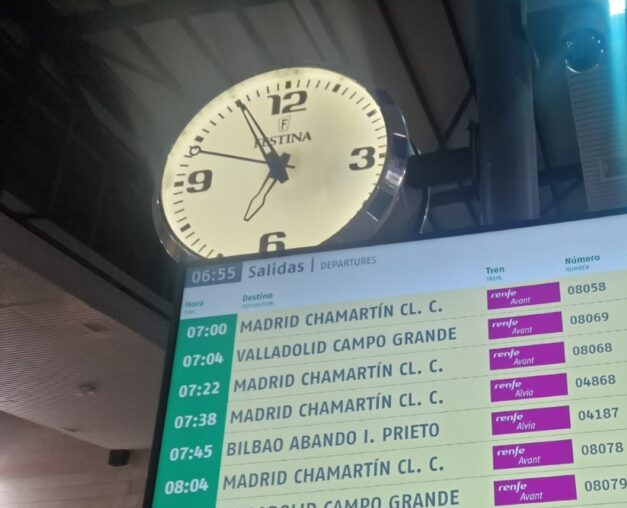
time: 6:55
